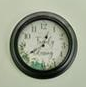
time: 12:39
